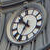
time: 10:36
